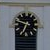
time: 6:47
